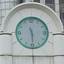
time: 11:29
